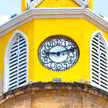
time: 9:11
